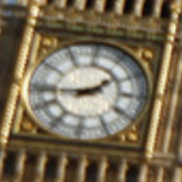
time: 1:43
